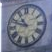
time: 10:48
